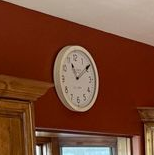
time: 11:09
